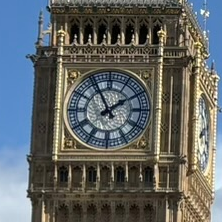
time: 1:55
